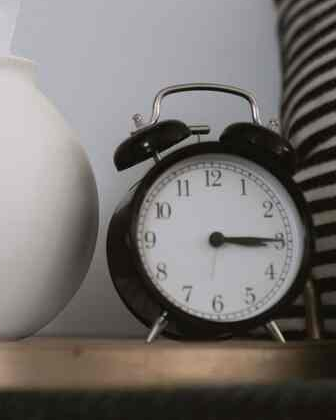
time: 3:15
